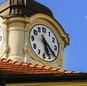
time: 5:20
